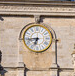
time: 6:43
